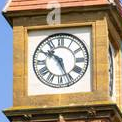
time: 10:26
